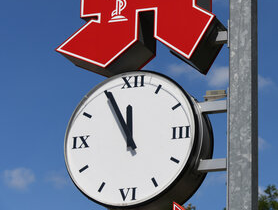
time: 11:55
